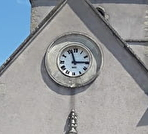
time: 2:57
